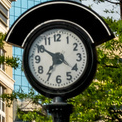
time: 6:50
